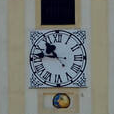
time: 10:46
